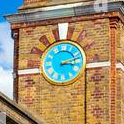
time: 3:12
